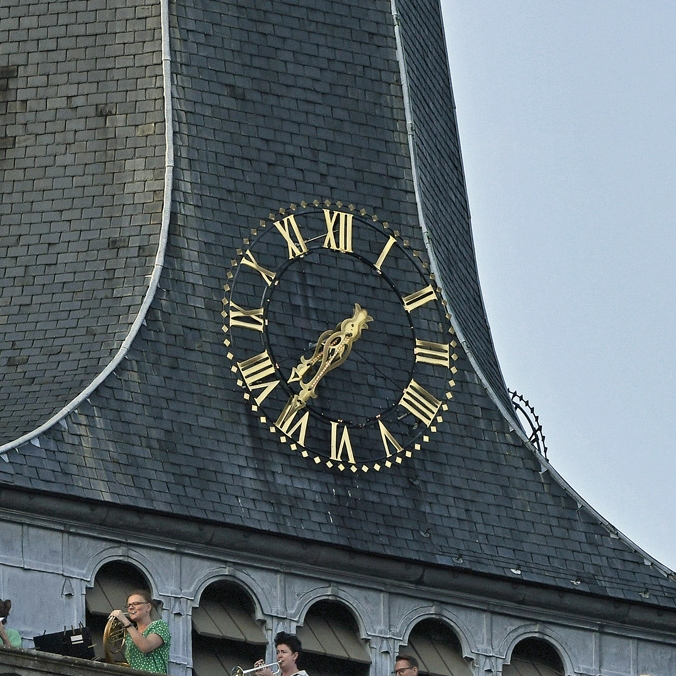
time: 7:36
